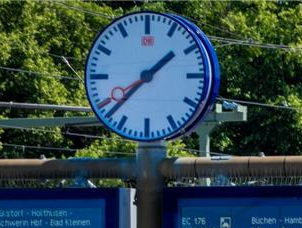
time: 1:37
